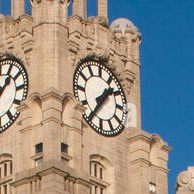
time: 1:35
